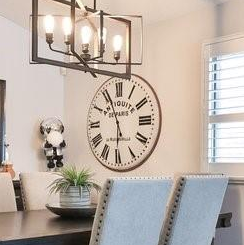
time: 5:56
